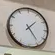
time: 1:24
